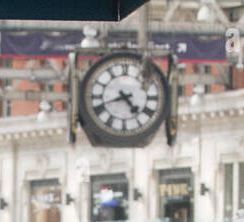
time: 4:41
